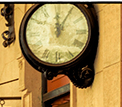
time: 12:05
